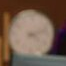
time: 4:12
